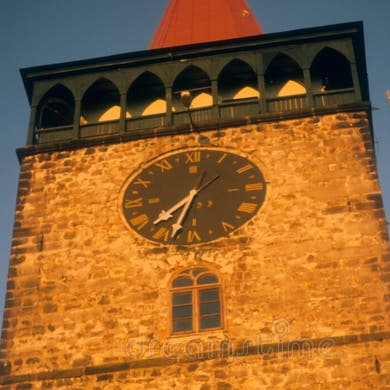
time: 7:33
